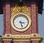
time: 3:27
